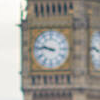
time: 9:45
